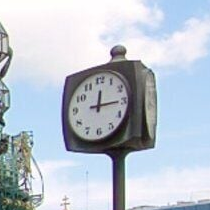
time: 12:15
